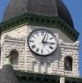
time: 3:03
